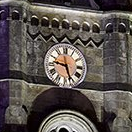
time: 9:26
